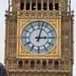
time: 3:02
